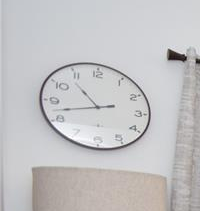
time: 10:42
